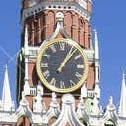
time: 1:07
